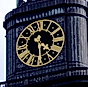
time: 4:29
